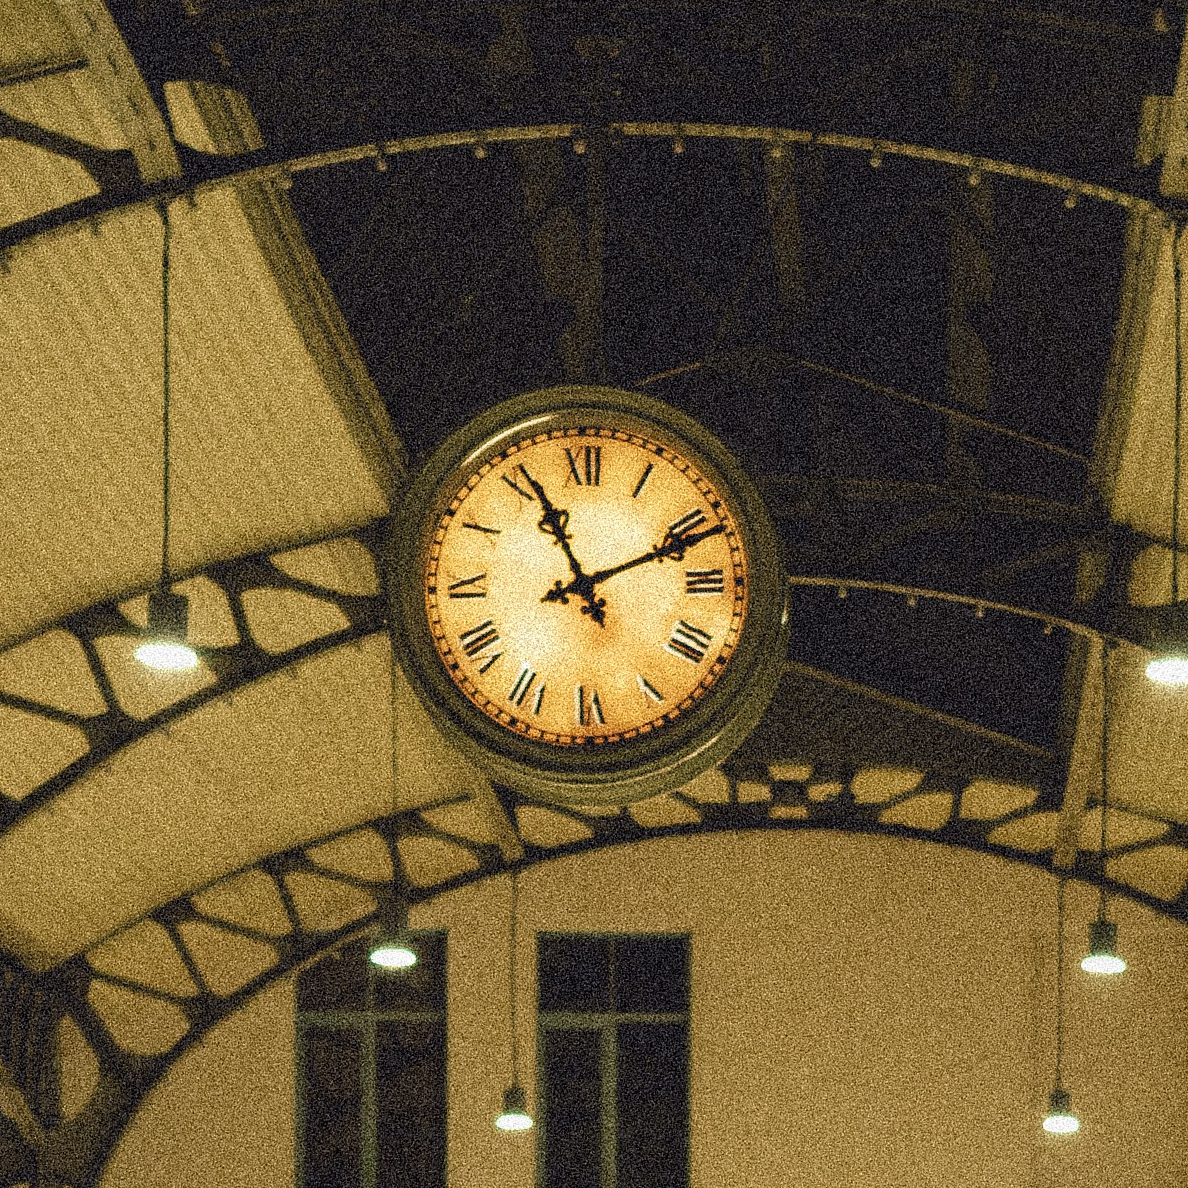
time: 11:11
